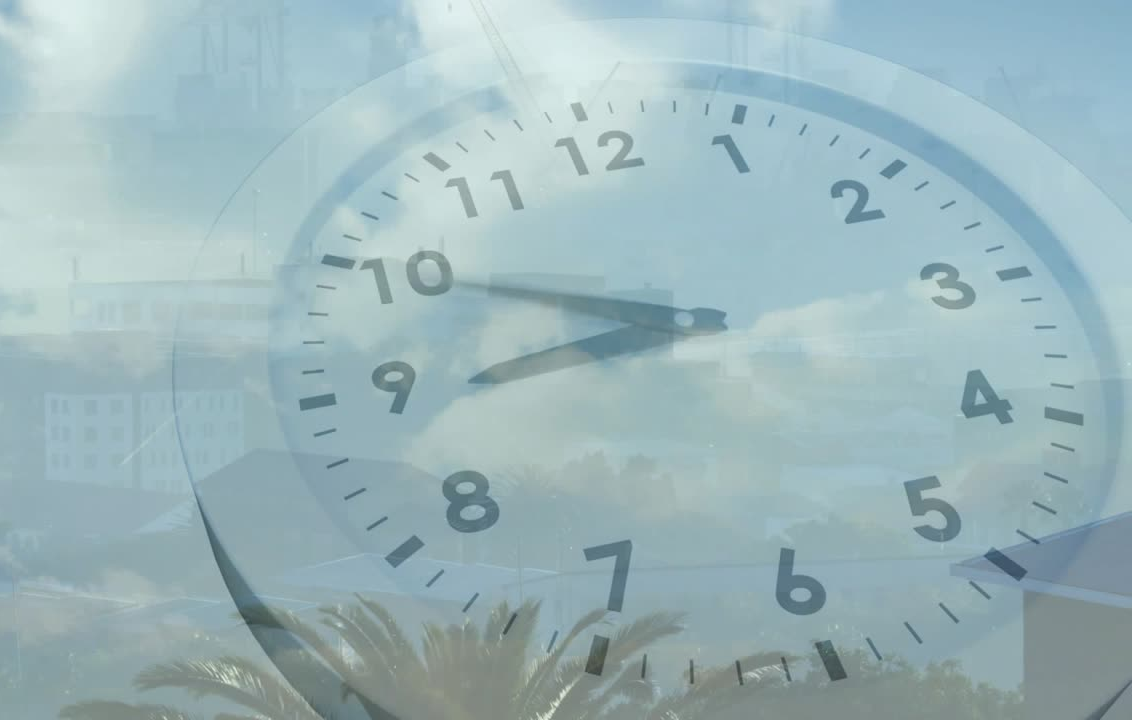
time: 8:49
